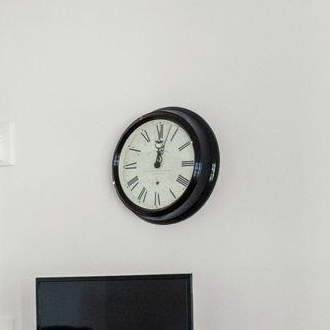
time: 12:02
